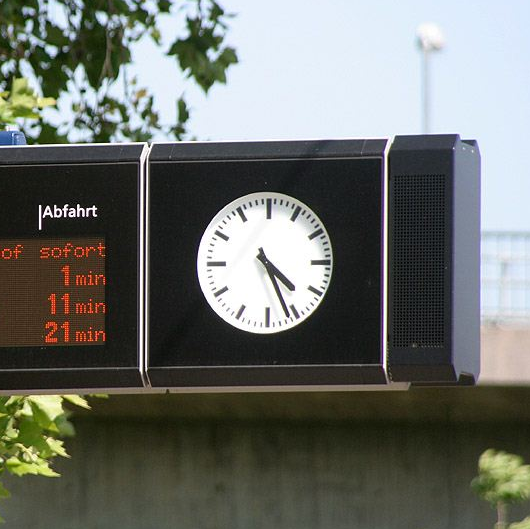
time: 4:26
